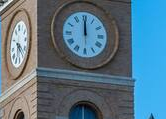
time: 12:00
